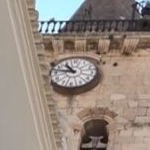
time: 10:47
